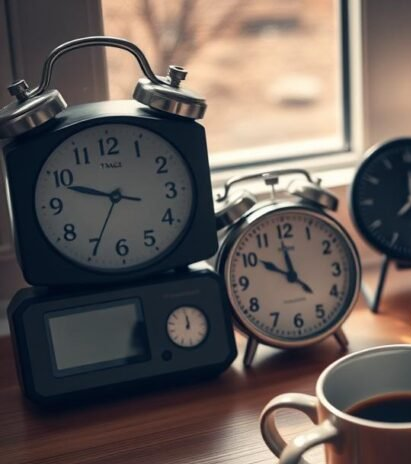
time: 9:34
